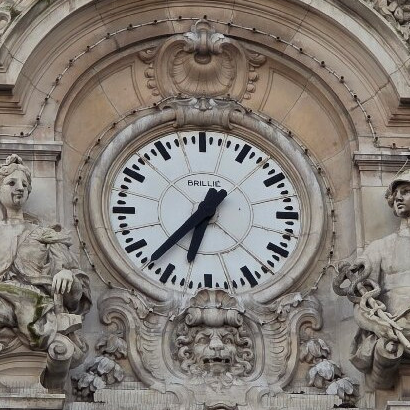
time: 6:37
